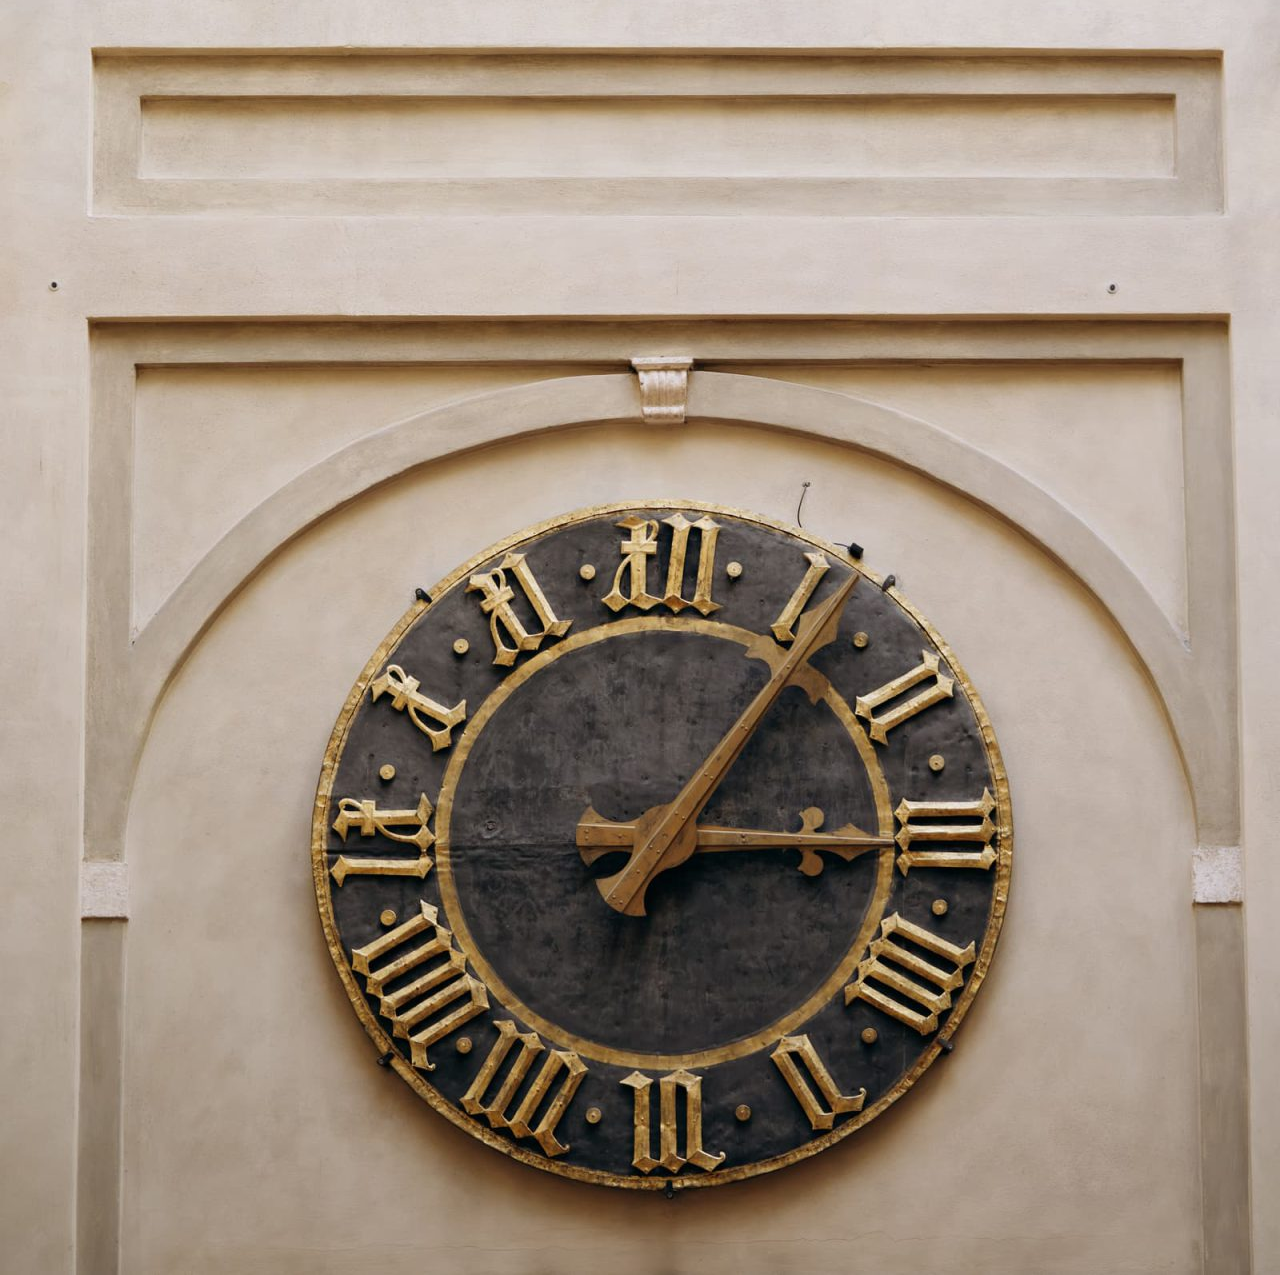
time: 3:06
